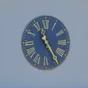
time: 11:24
